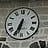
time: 6:34
